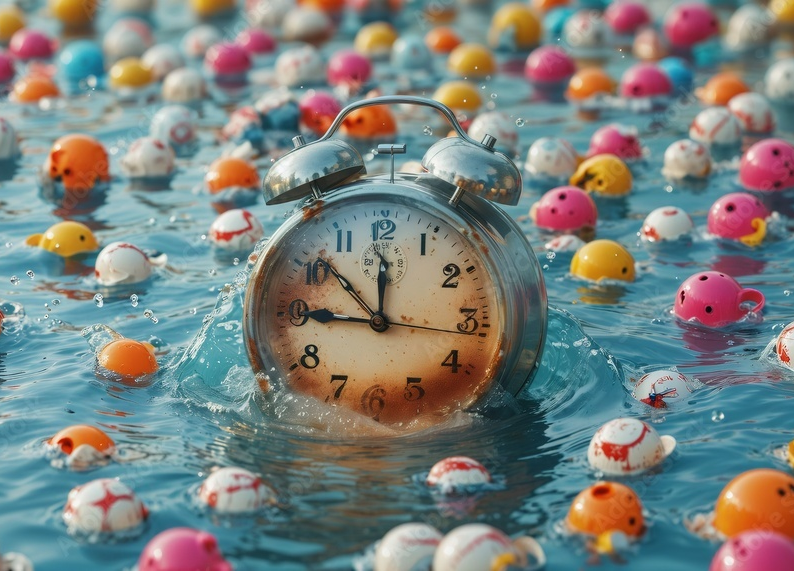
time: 11:46
